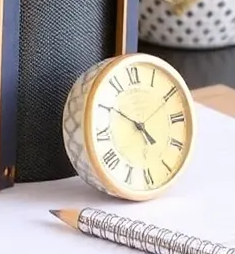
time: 4:50
